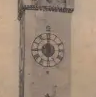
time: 5:59
